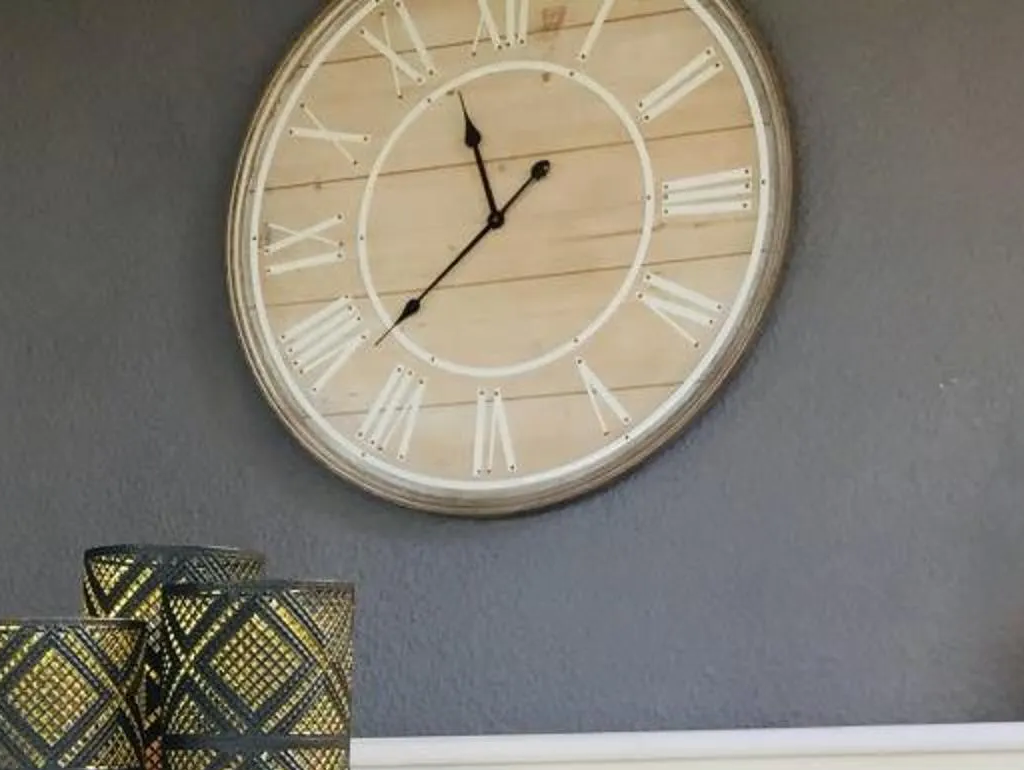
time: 11:37
